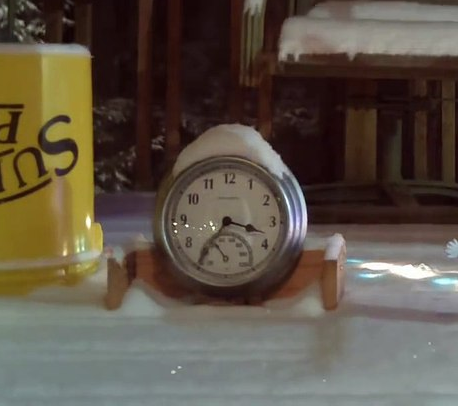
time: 3:36
